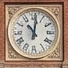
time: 11:01
